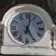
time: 5:01
